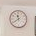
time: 11:39
